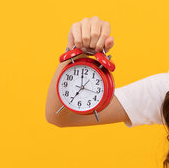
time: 6:58
